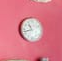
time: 10:42
